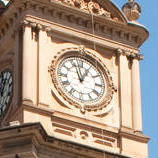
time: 12:57
